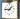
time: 1:46
